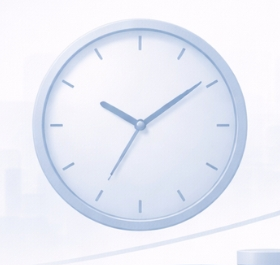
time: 10:09
